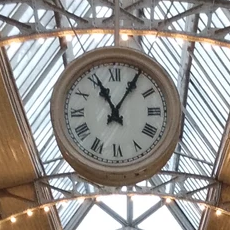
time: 11:05
